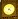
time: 4:07
